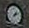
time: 1:11
